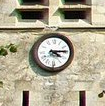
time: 4:14
